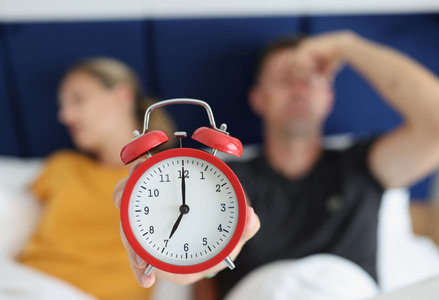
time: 7:00
